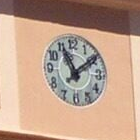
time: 11:08
